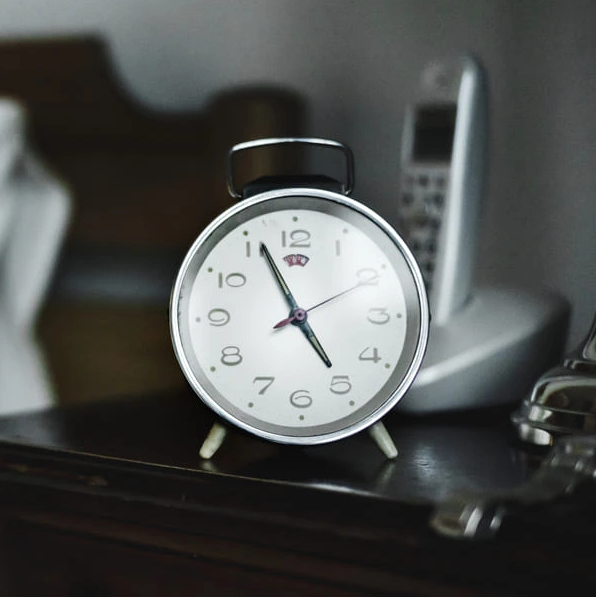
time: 4:56
